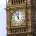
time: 11:55
